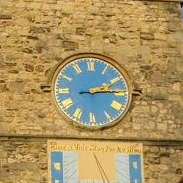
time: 2:14
